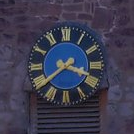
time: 3:38
